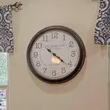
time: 4:21
